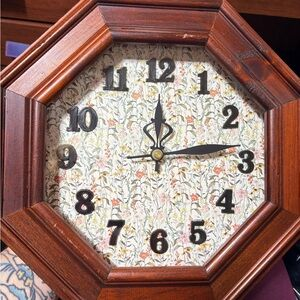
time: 12:13
